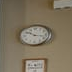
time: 10:17
